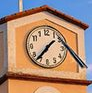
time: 1:36
